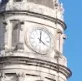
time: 4:01
